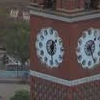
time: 6:29
